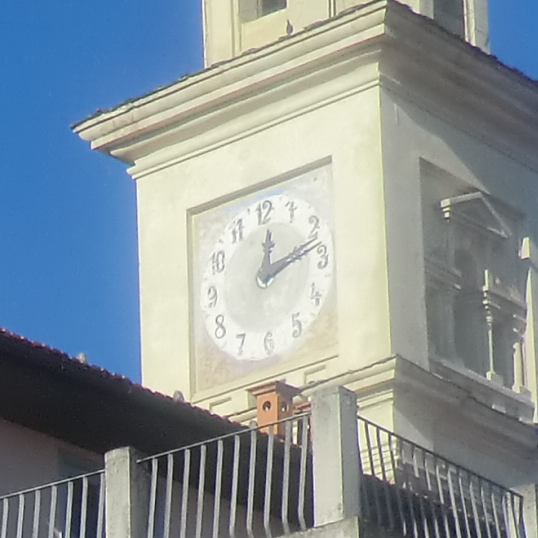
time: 12:12
